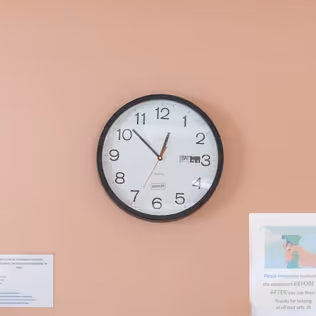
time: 12:52
